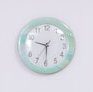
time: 9:29
